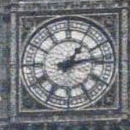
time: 1:13
